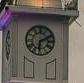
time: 6:11
